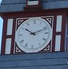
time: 10:11
